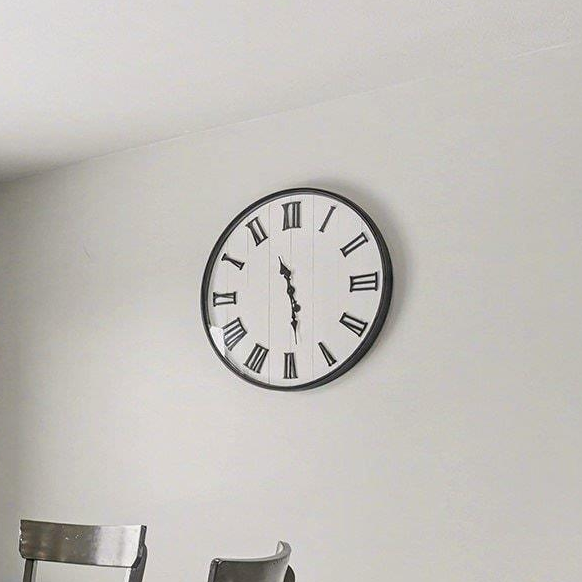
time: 11:28
